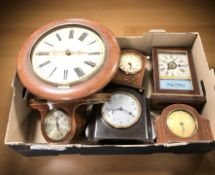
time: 2:44
